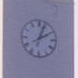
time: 2:03
